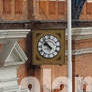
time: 9:52
